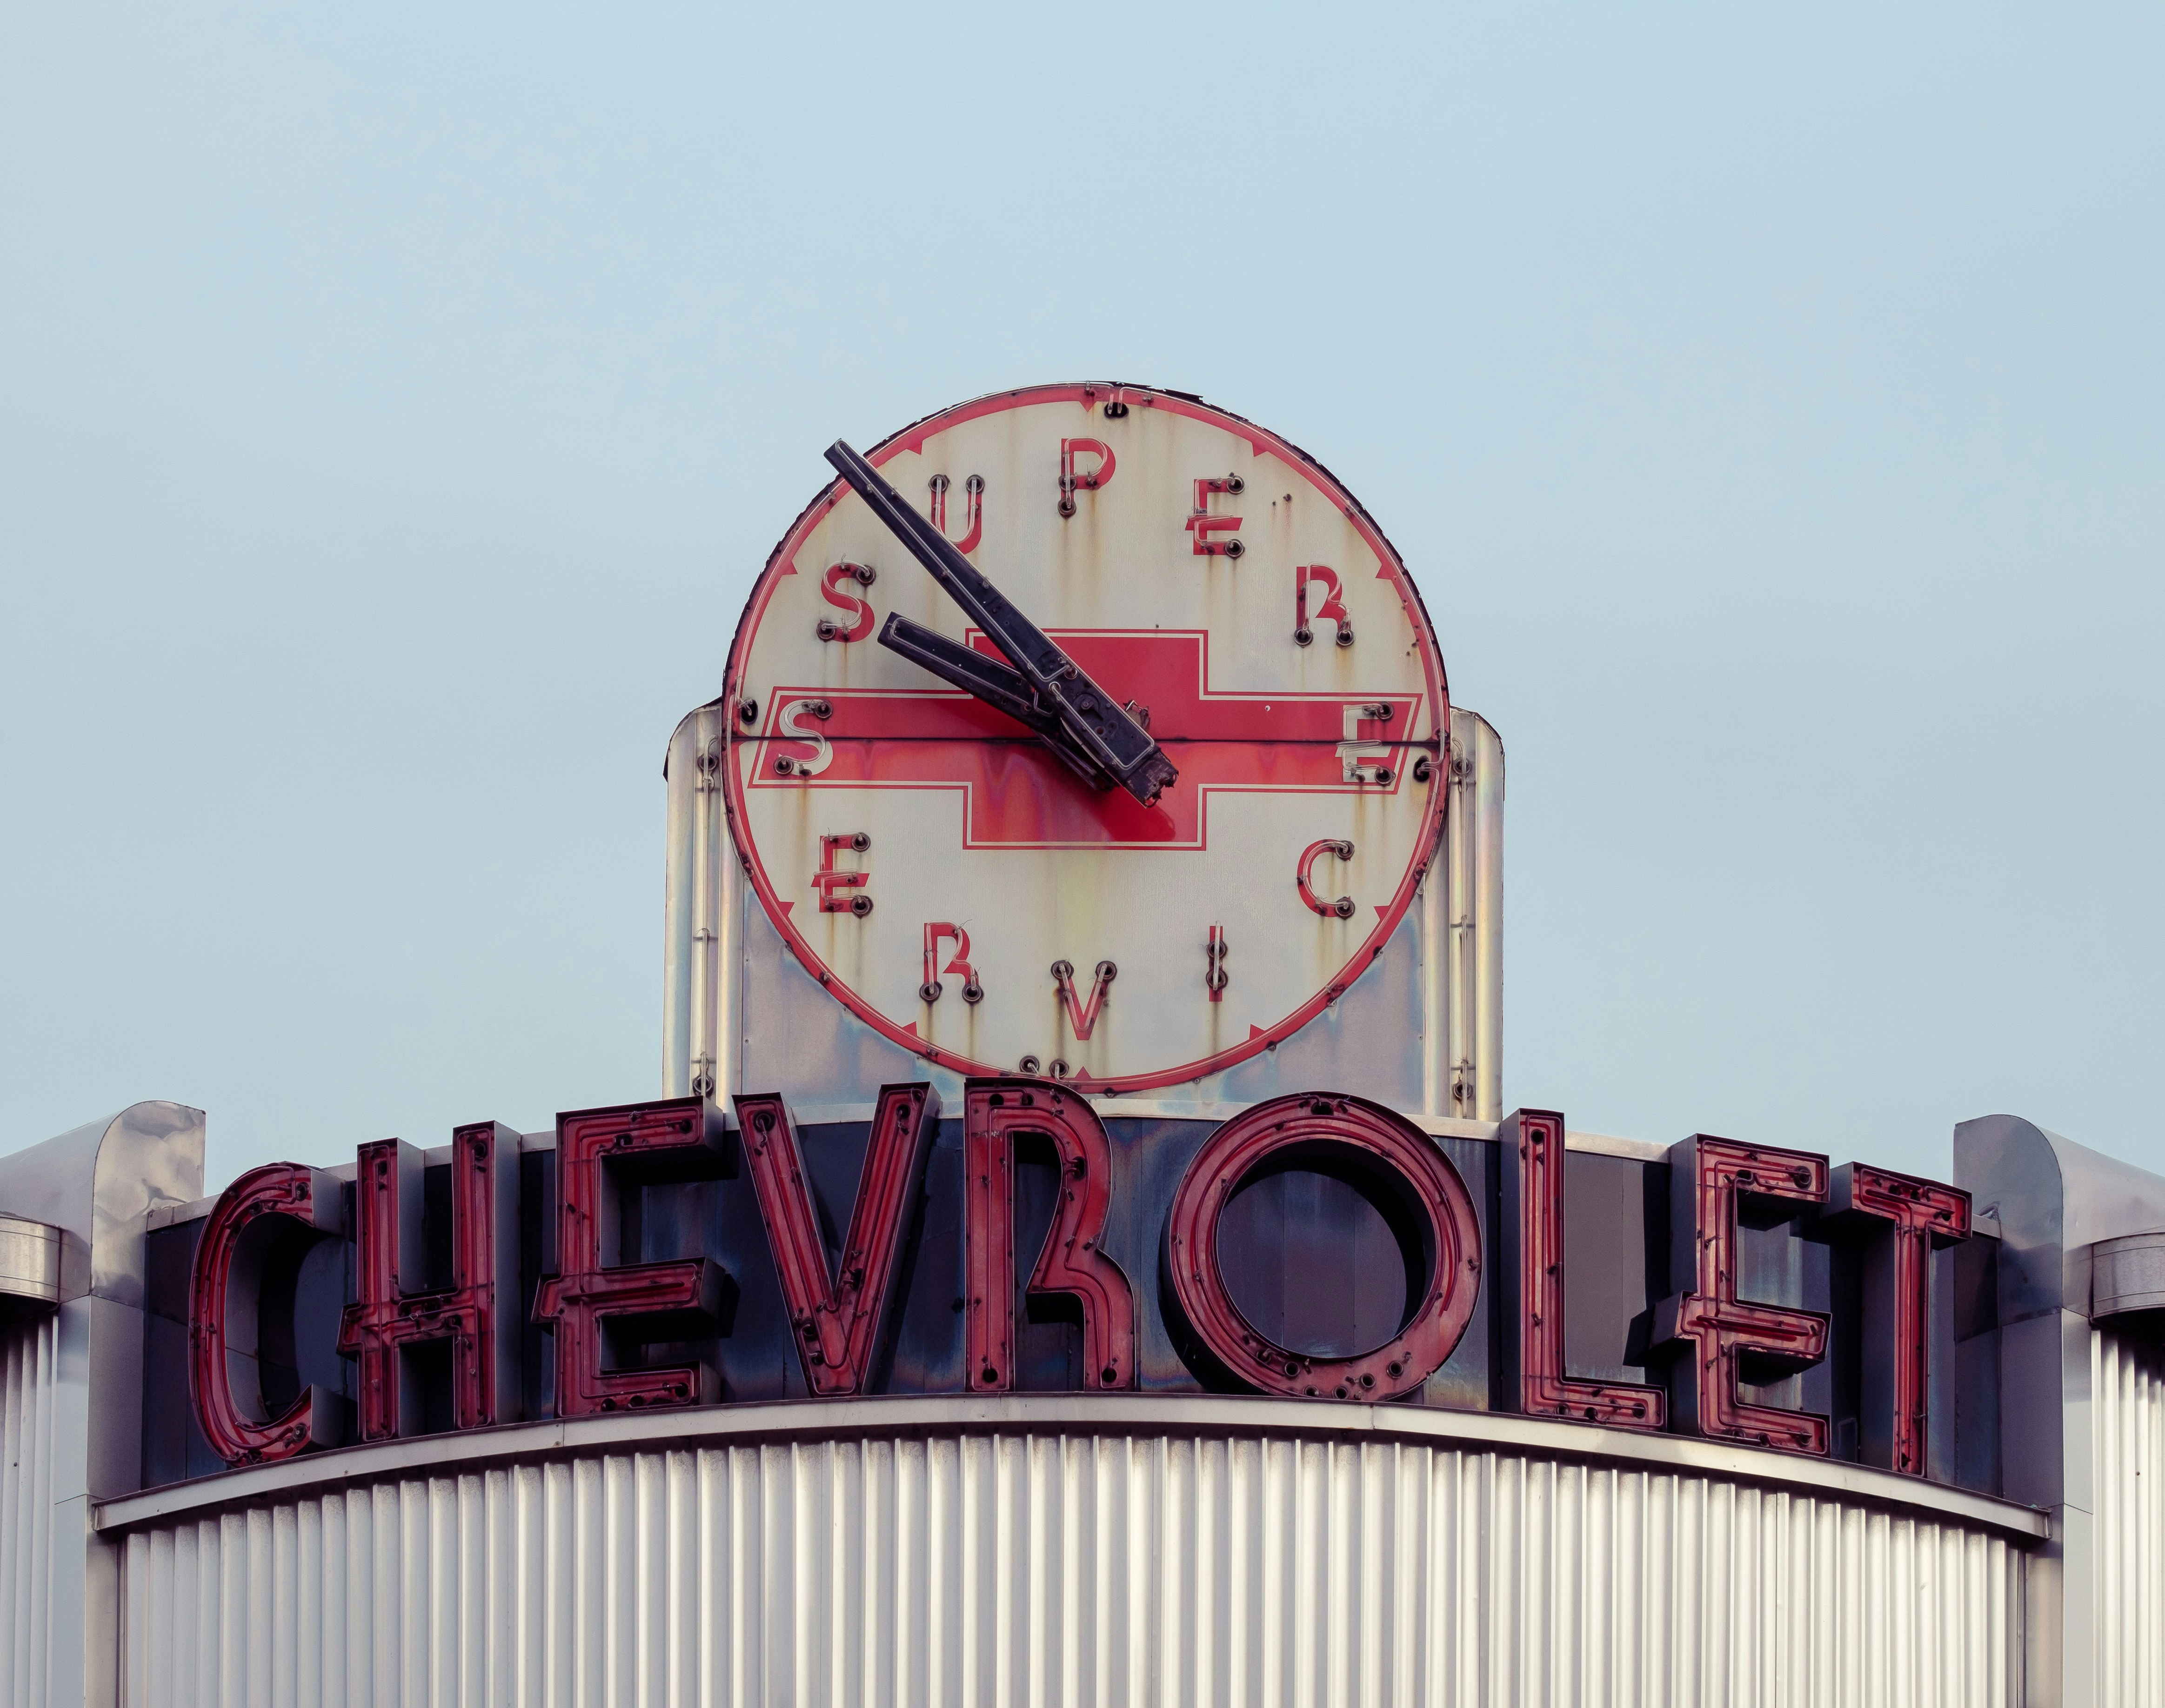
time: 9:52
